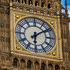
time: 6:09
